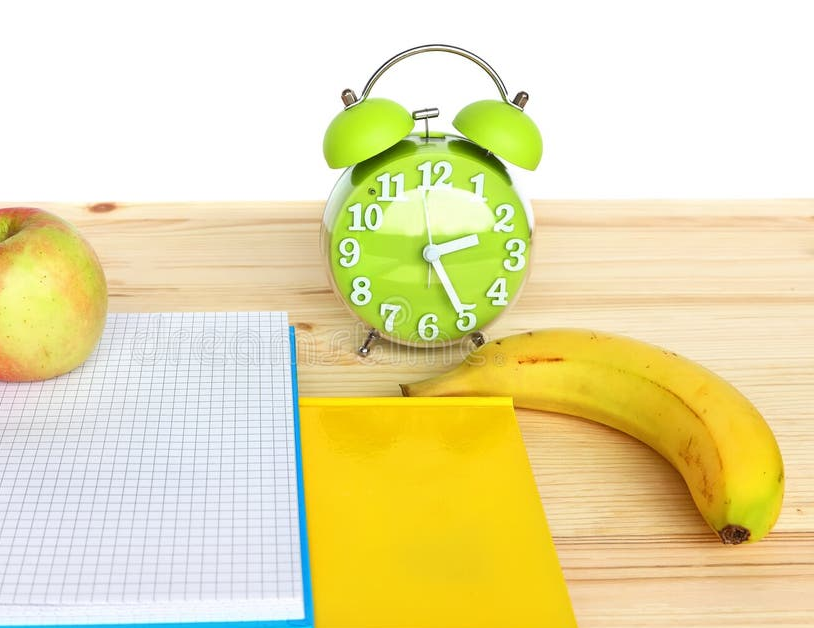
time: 2:24
